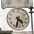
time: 4:32
